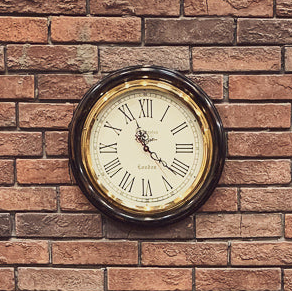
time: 11:21
